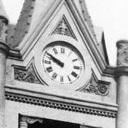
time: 9:50
